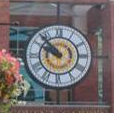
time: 9:53
